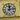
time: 12:13
